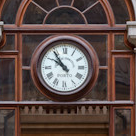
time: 10:50
